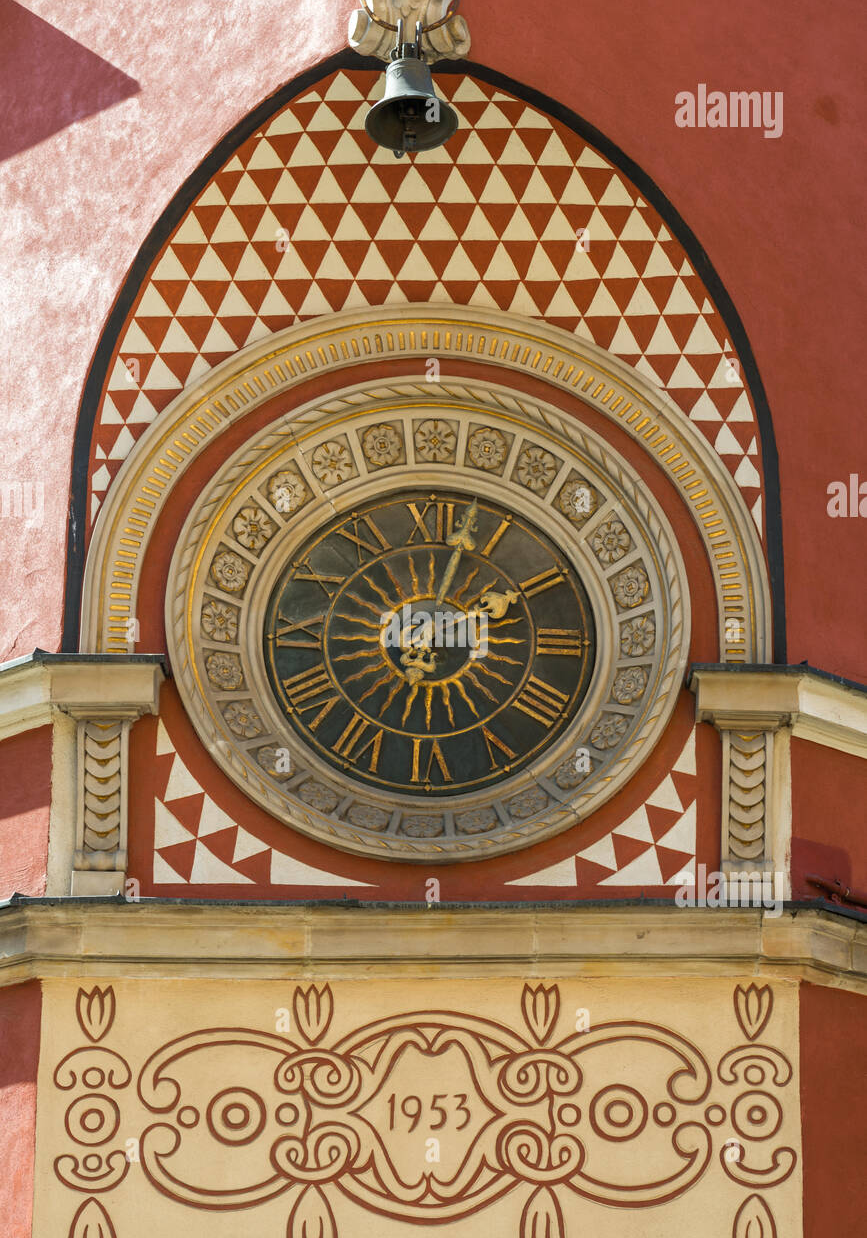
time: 2:02
